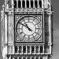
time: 10:50
